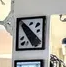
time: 10:20
